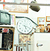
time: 5:18
